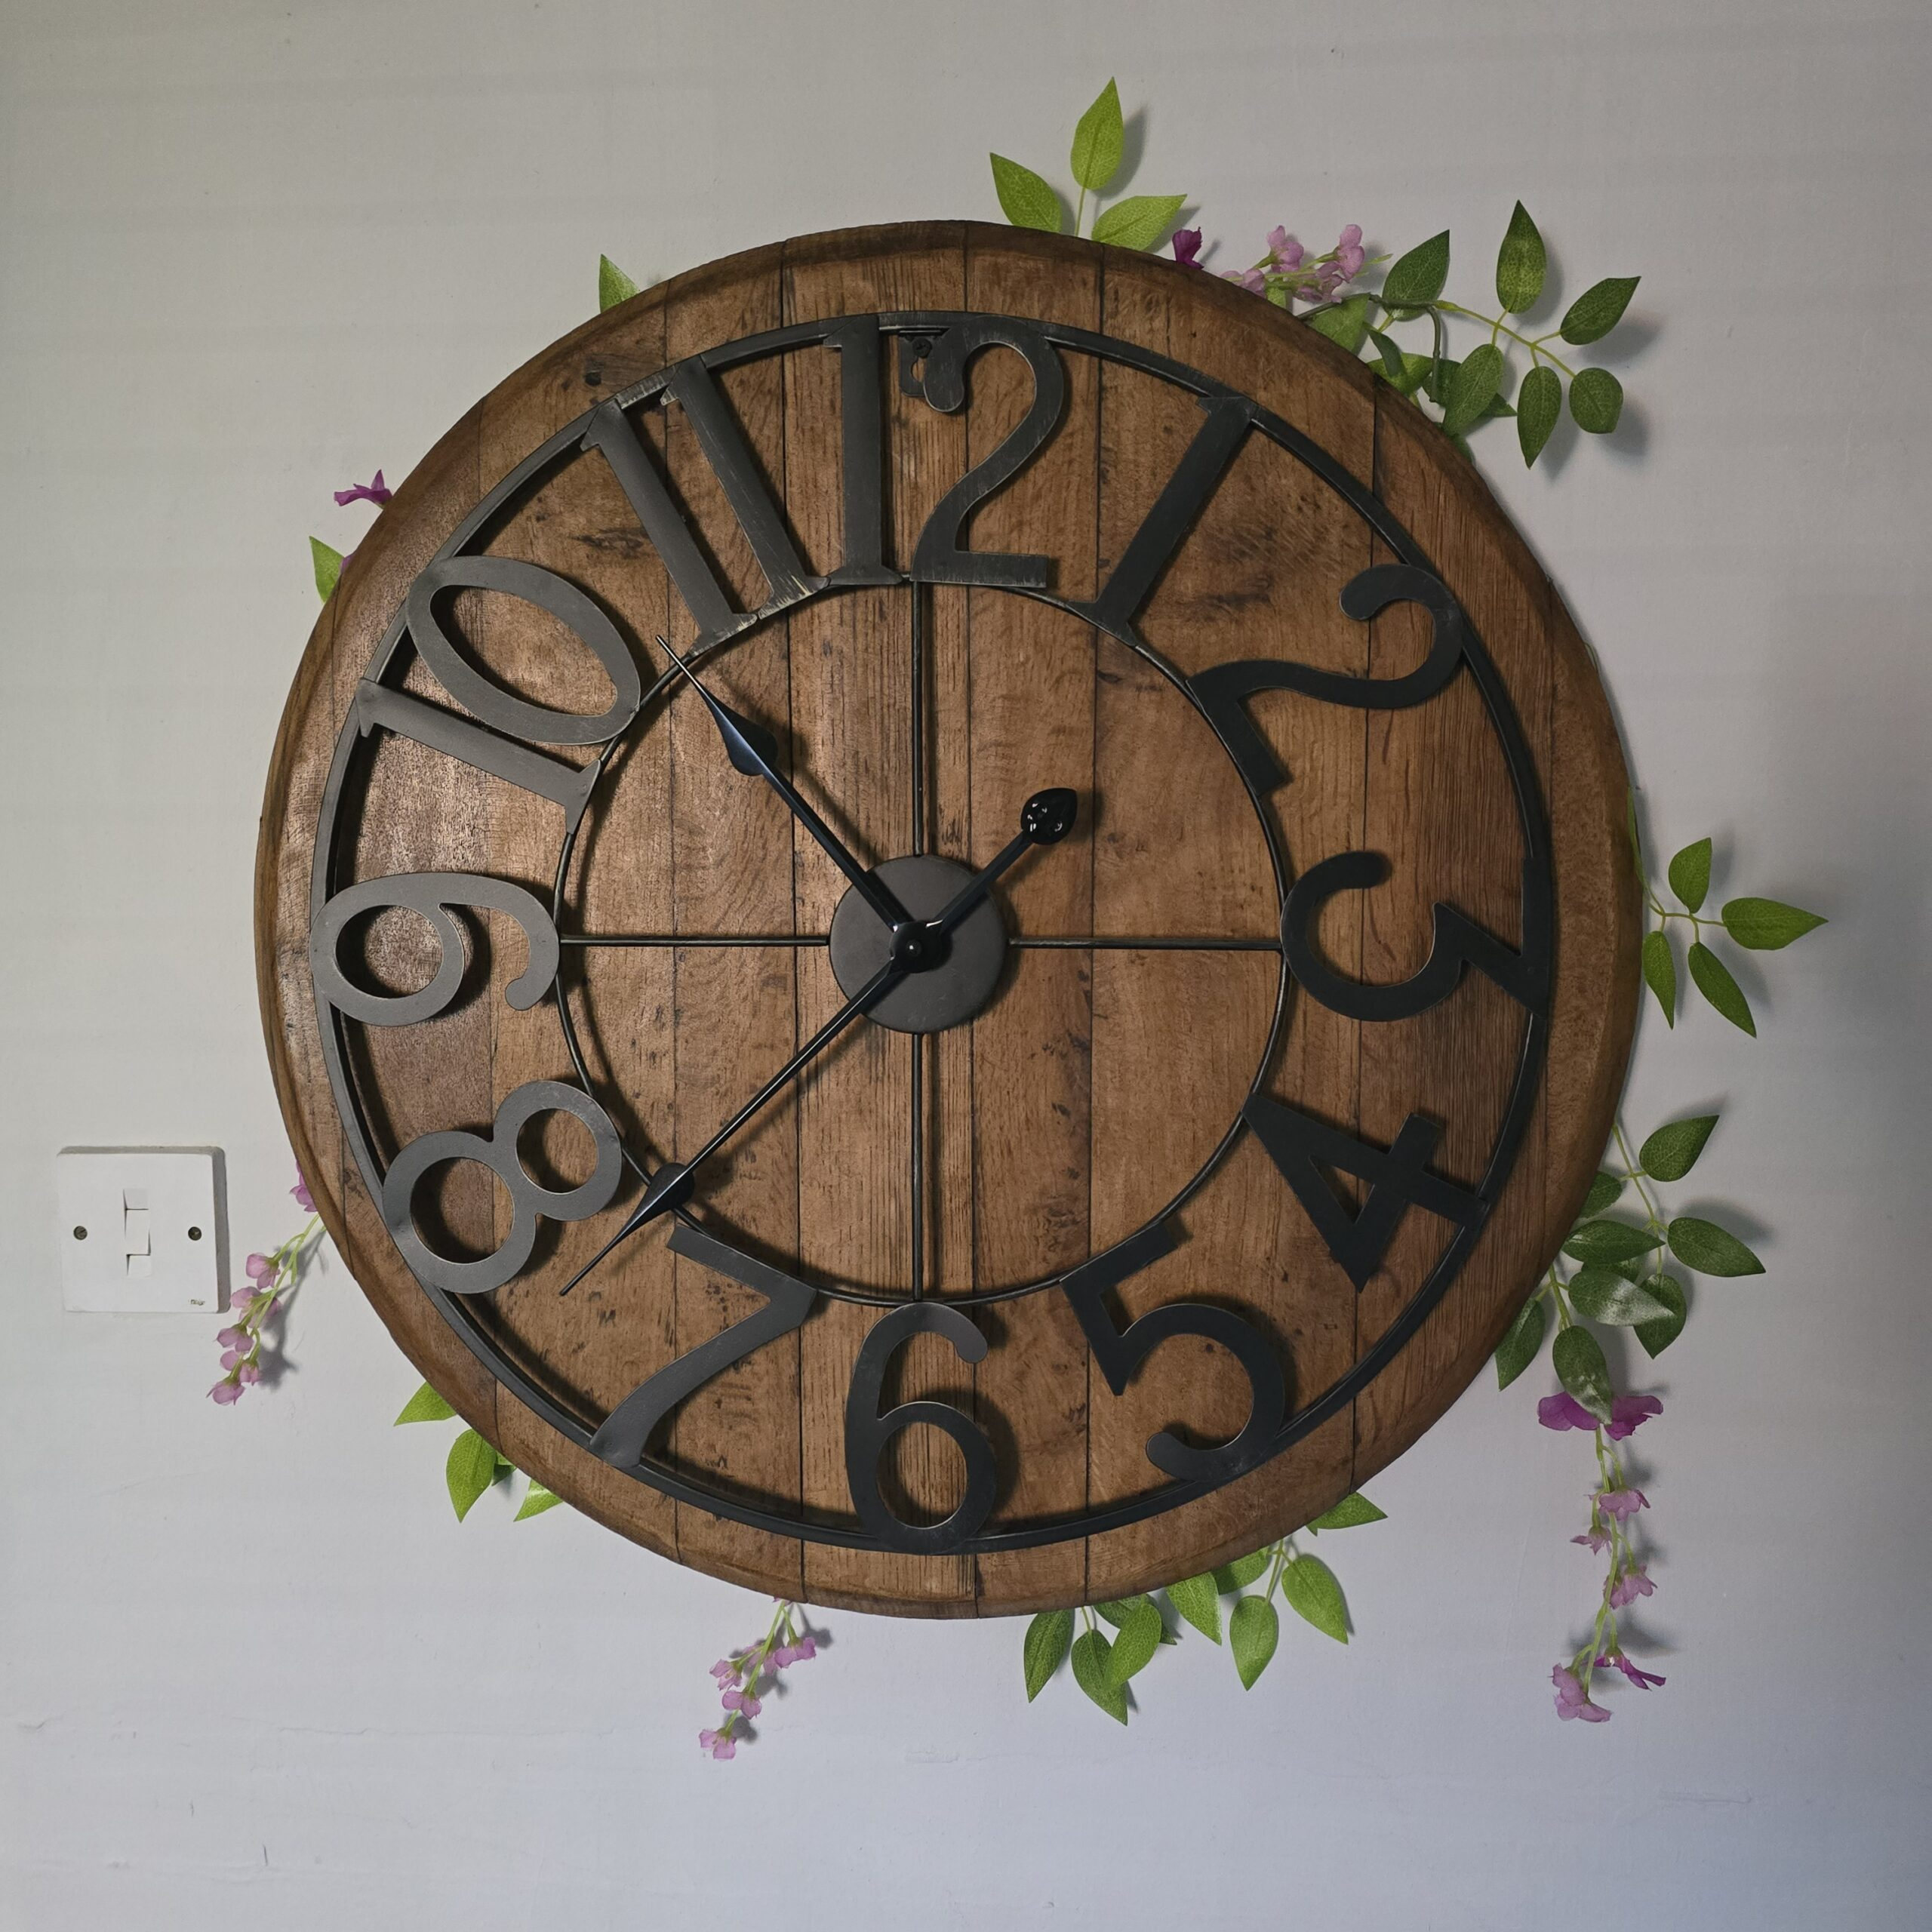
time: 10:37
